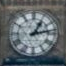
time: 1:13
